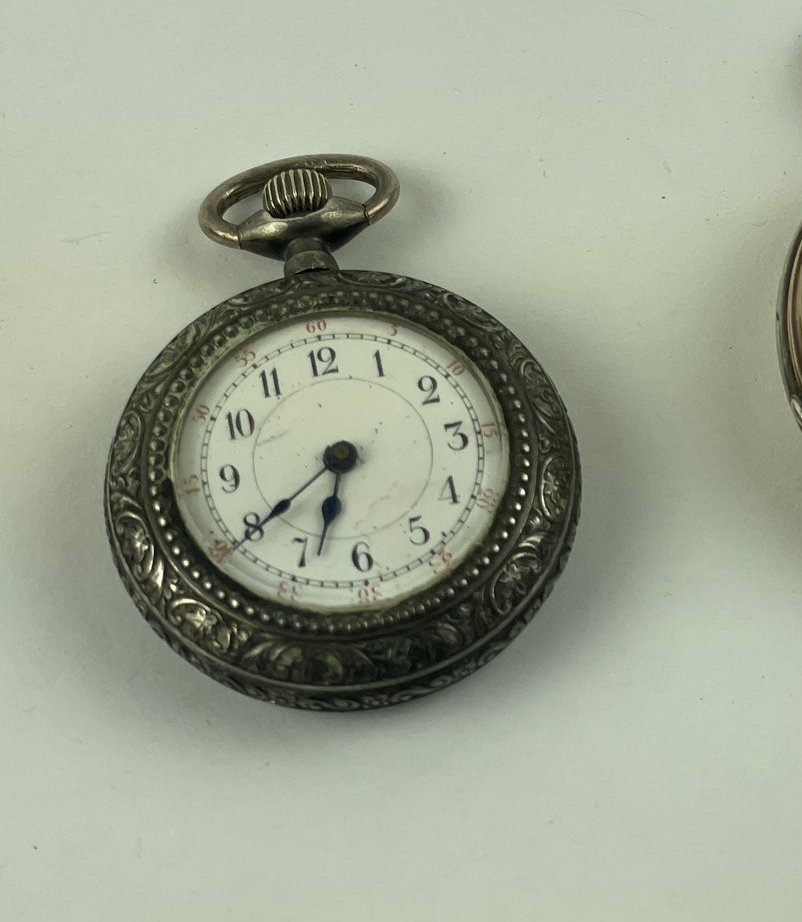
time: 6:39
